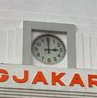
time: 2:59
